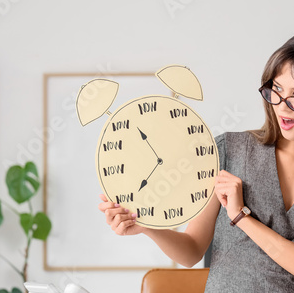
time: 10:38
